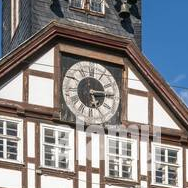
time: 5:14
